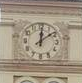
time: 12:09
